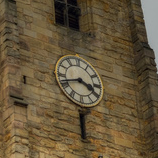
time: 3:42
